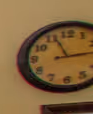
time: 11:13
